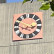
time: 2:48
